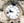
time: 9:41
